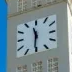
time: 11:30
